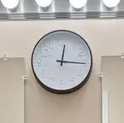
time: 12:15
